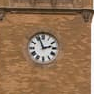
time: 2:56
